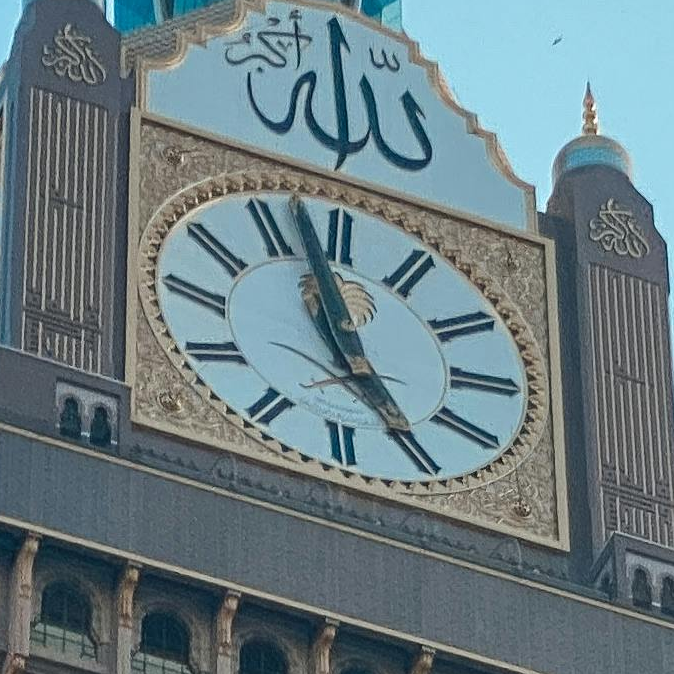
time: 4:57
